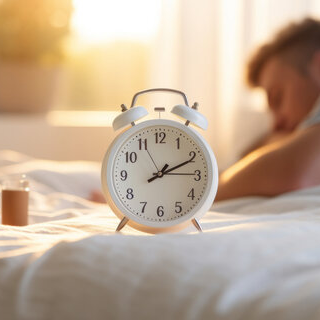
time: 1:10
